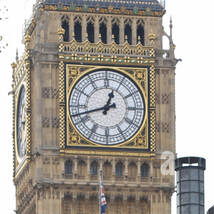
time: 12:42
